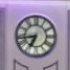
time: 6:43
